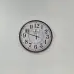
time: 11:47
